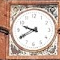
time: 9:40
